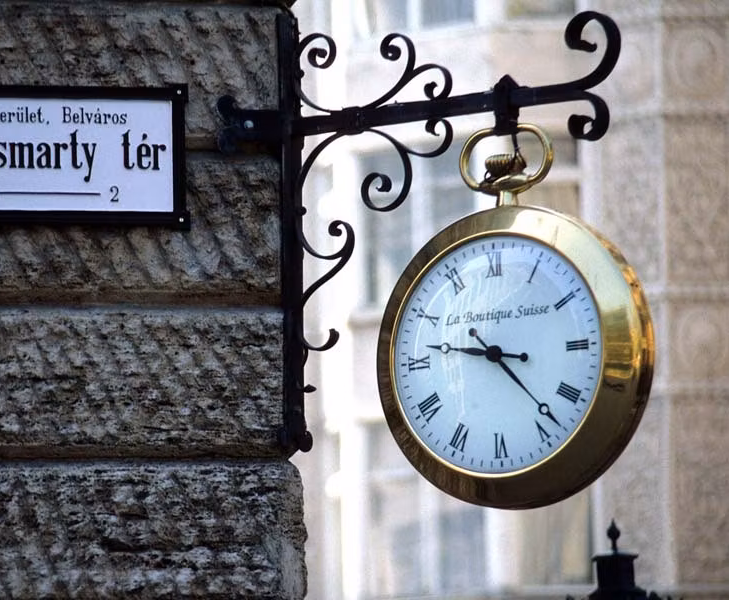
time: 9:22
